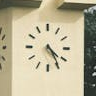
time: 4:24
